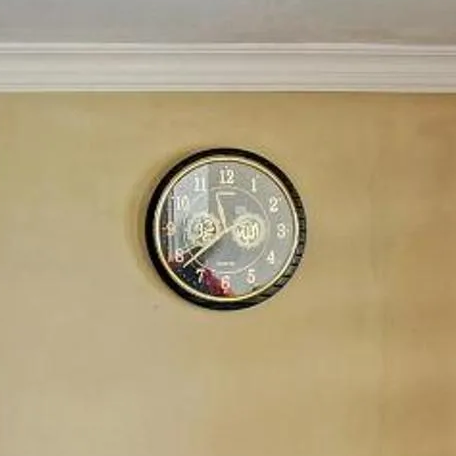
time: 11:37
